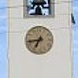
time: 6:43
